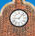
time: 9:07
